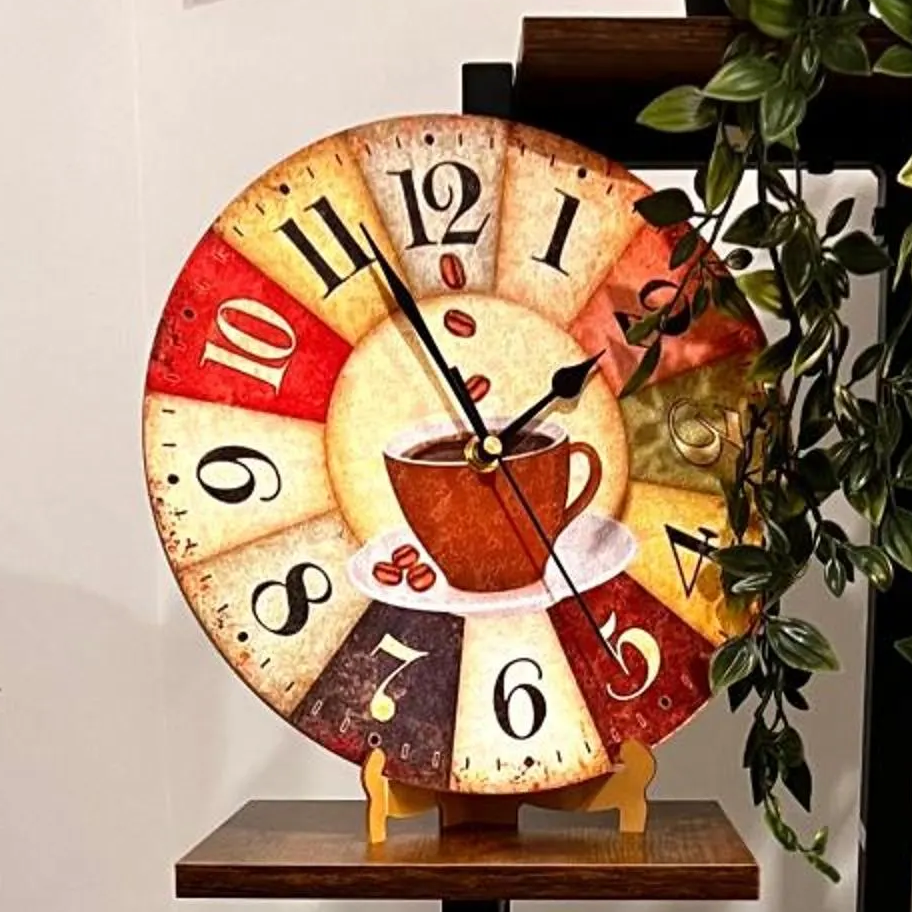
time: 1:56
